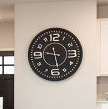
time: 9:28
